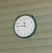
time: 11:46
